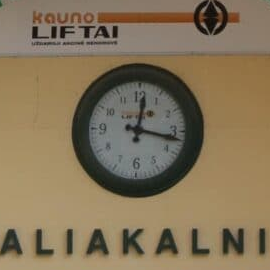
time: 12:16
